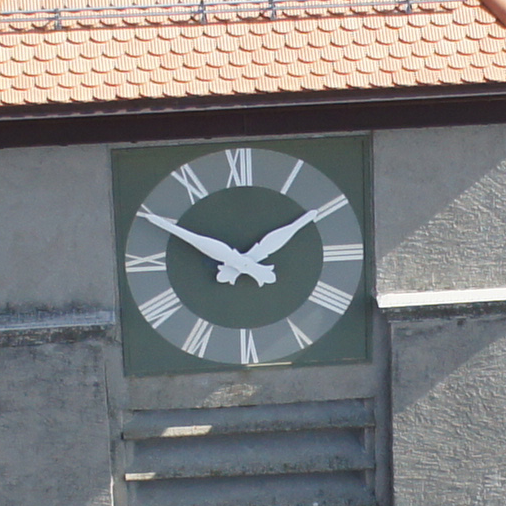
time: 1:50
